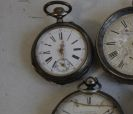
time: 12:28
